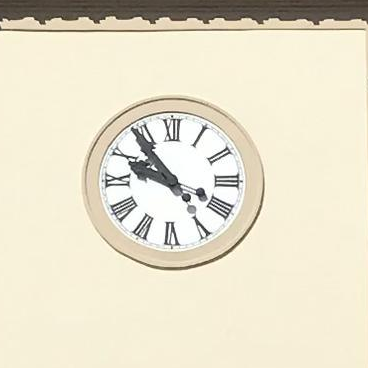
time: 9:53
